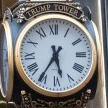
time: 5:35
